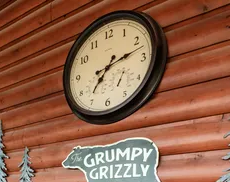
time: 7:12
